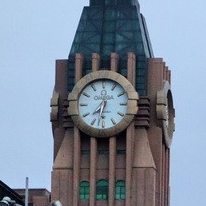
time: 7:32
